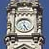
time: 11:25
